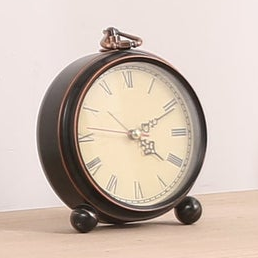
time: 4:11
